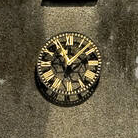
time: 11:07
